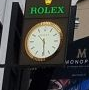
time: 10:29
